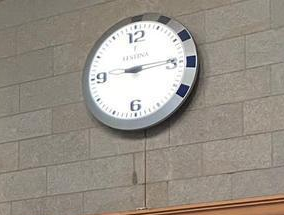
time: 9:14
